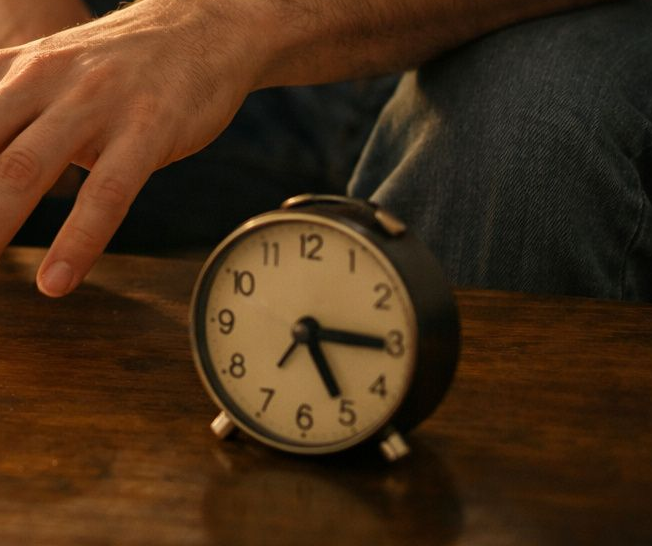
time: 5:15
